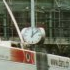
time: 12:07
